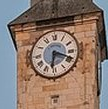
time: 6:18
